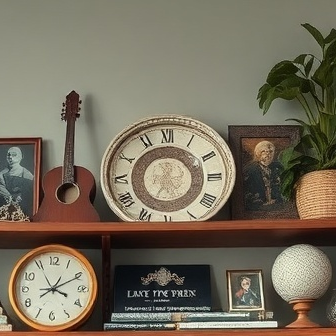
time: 11:34
